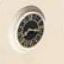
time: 7:16
